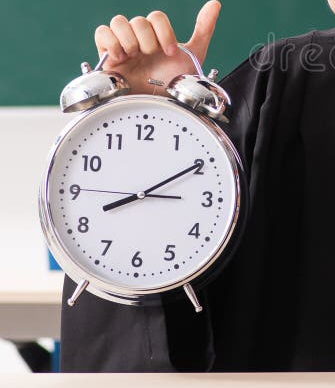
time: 8:09
